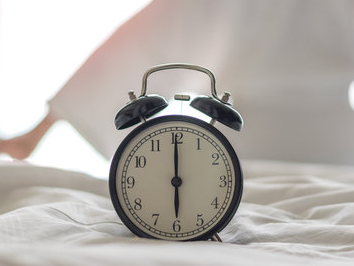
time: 6:00
